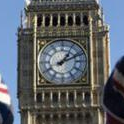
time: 1:11
